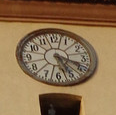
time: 5:18
